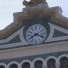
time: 8:18
